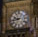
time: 9:43
